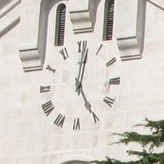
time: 5:01
